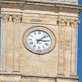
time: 3:07
